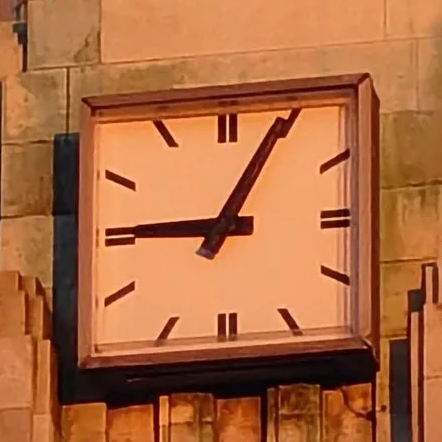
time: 9:04
